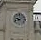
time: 9:41
